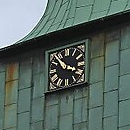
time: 3:53
